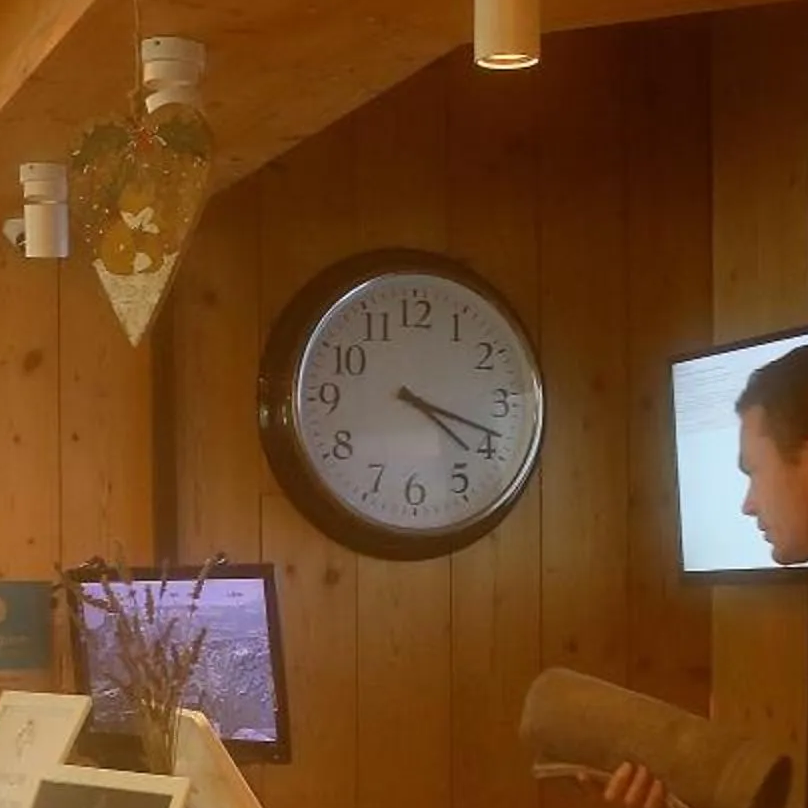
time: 4:18
